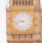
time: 9:42
